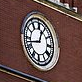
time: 12:42
